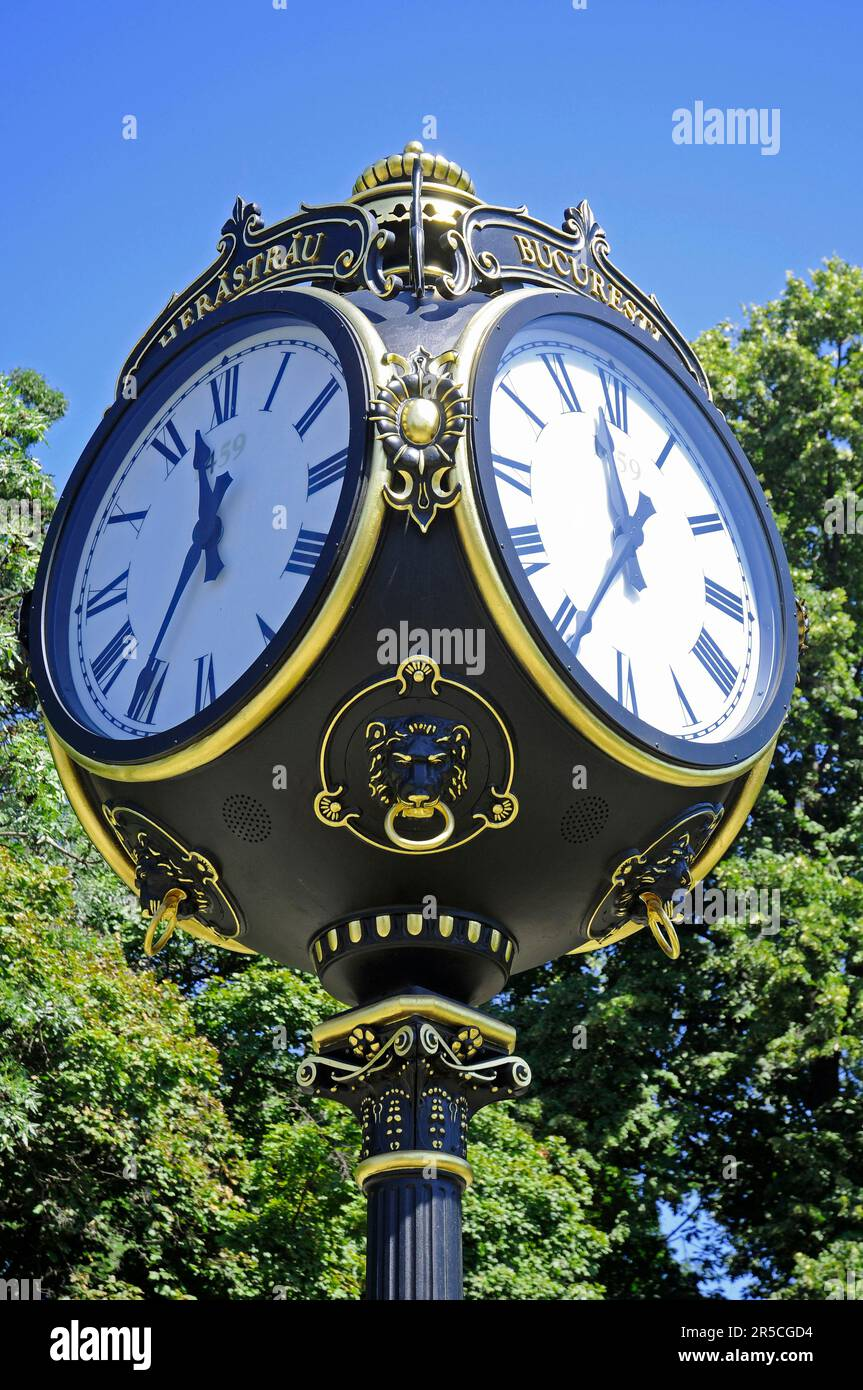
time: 11:35
